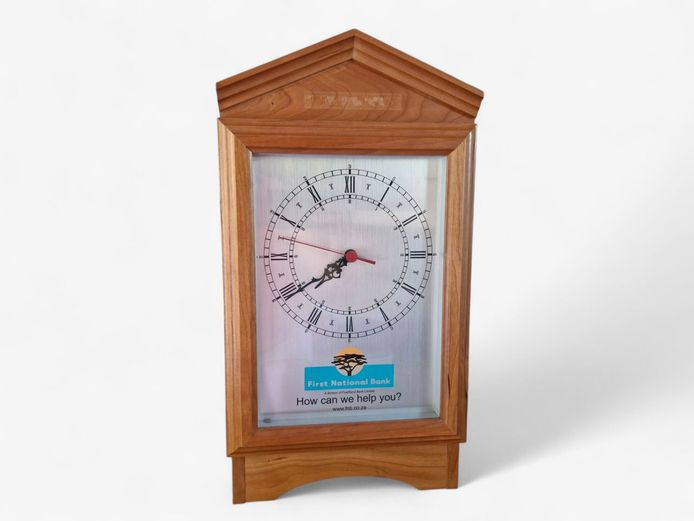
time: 7:40
